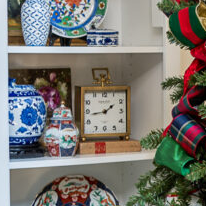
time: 1:43
